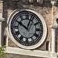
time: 10:03
